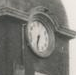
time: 6:32
